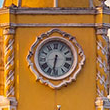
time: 6:32
